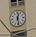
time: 12:28
